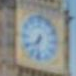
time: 7:32
